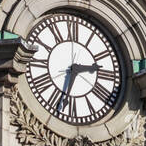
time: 2:33
